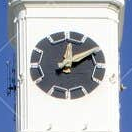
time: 12:09
